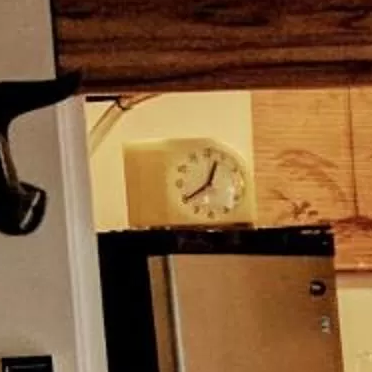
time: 12:39
